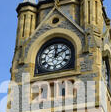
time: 12:09
